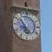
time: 4:52
